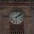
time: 2:09
